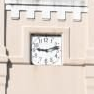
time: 9:12
